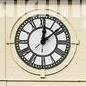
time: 12:08
